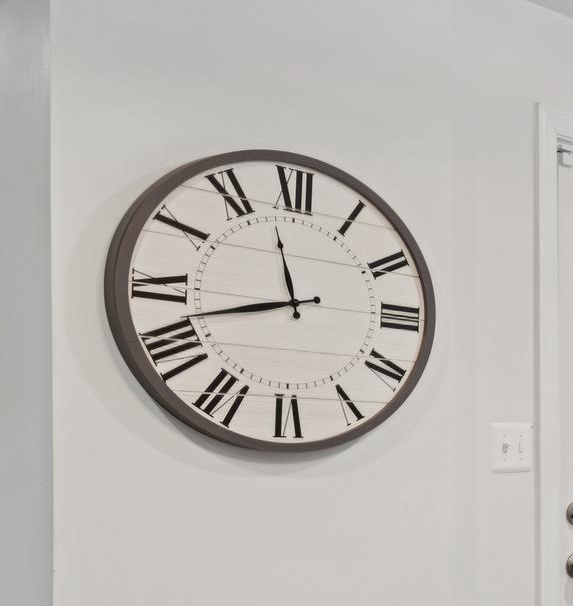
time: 11:41
